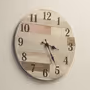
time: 3:24
